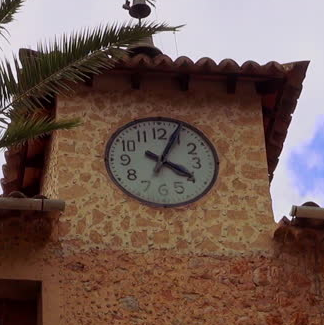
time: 4:04
